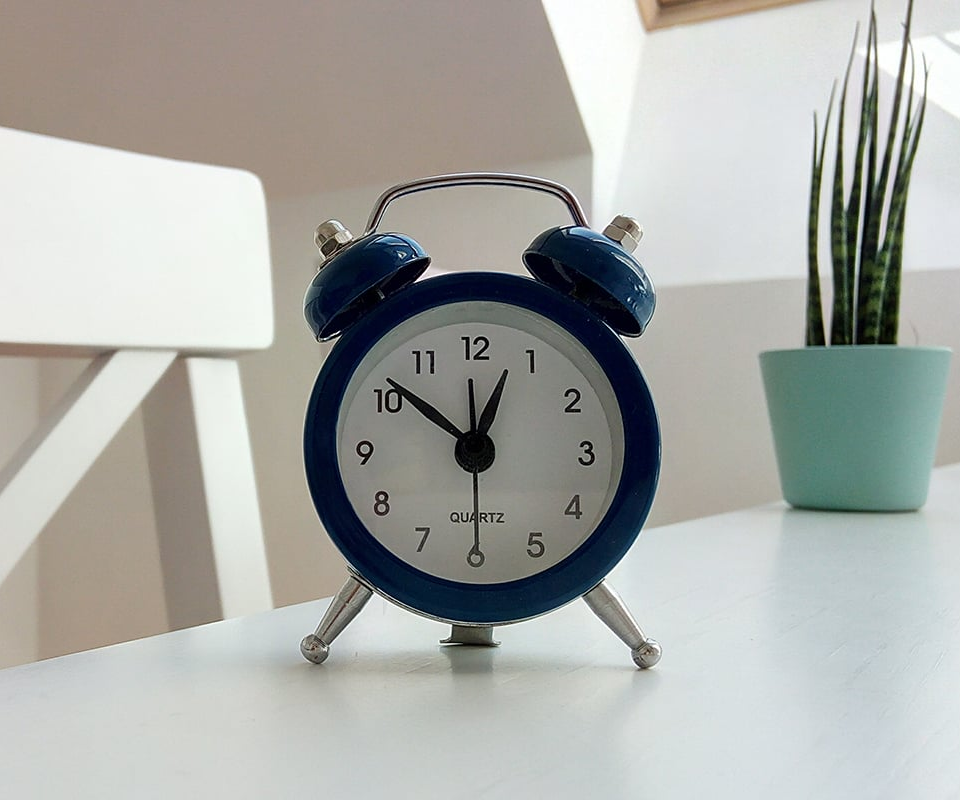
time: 12:51
